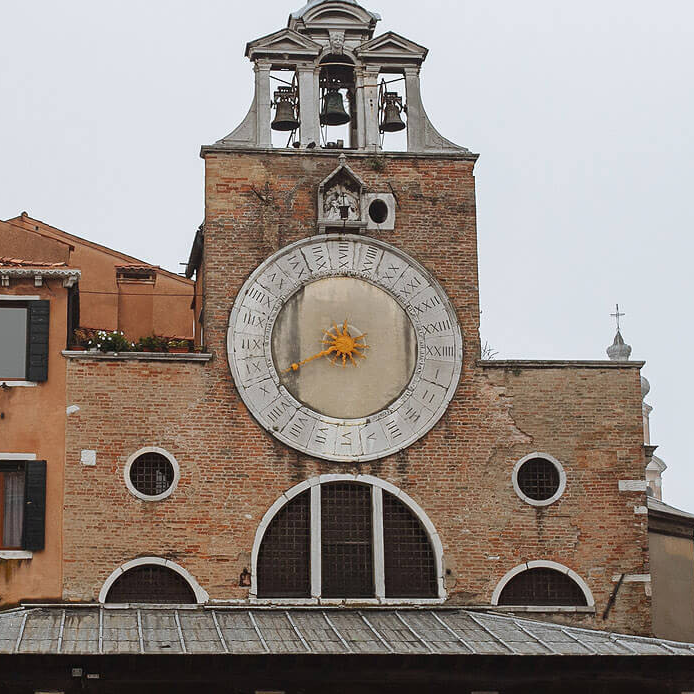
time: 8:40
